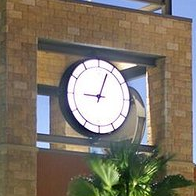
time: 9:03
